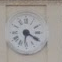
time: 6:19
